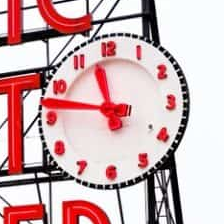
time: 11:46
